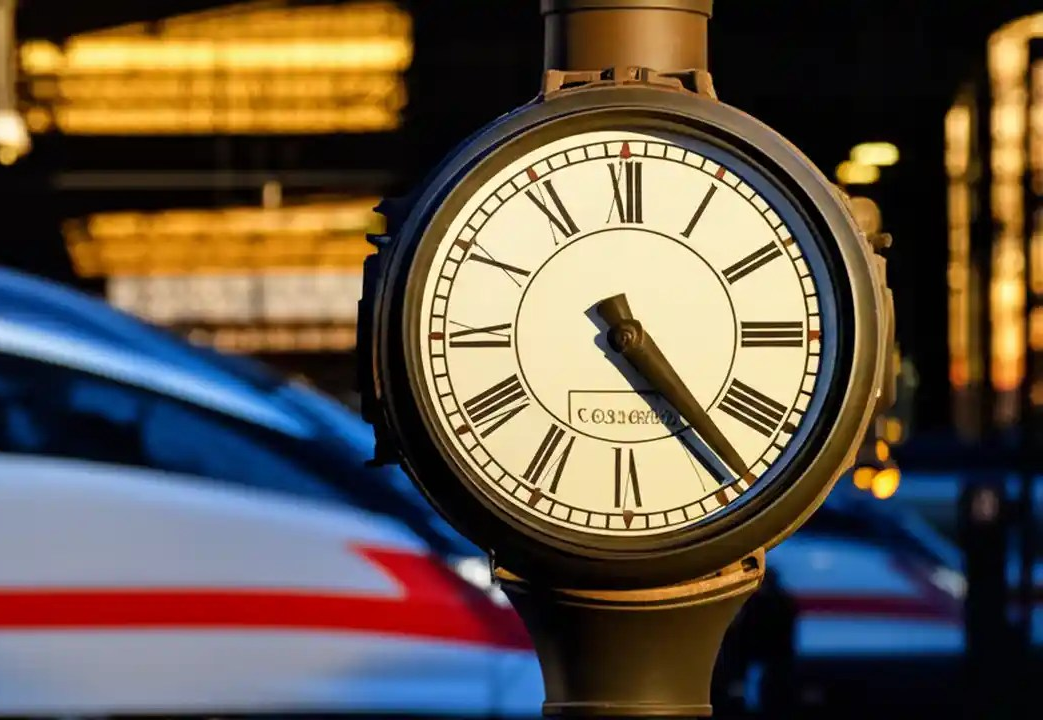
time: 4:23
